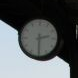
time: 2:29
